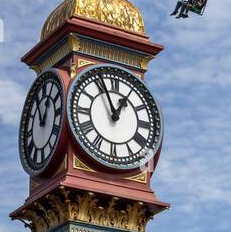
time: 12:56
